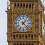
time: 1:22
